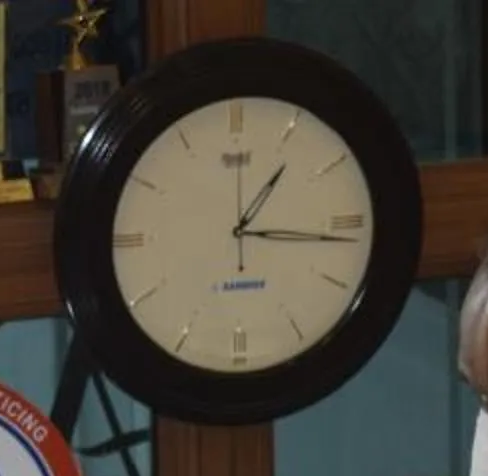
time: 1:16
